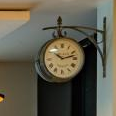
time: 10:12
